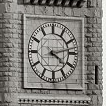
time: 4:12
